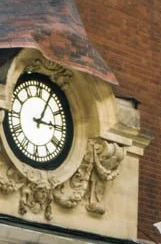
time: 3:04
